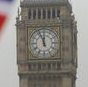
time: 11:56
